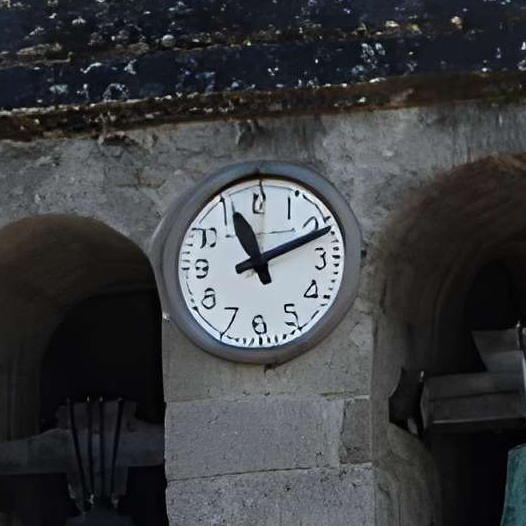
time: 11:11
